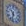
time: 10:32
